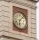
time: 6:07
